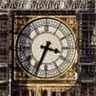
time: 3:34
